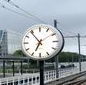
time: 6:54
